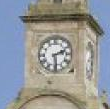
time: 2:29
